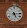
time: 5:15
